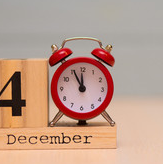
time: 11:55
